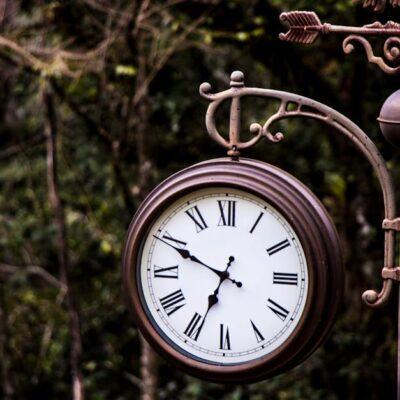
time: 6:49
